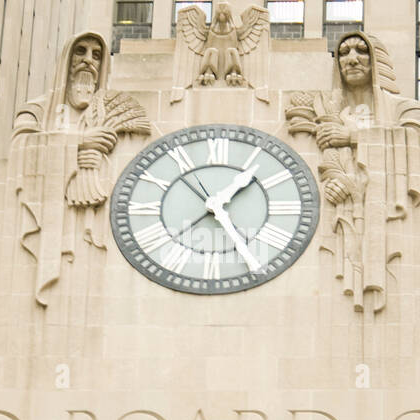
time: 1:24
